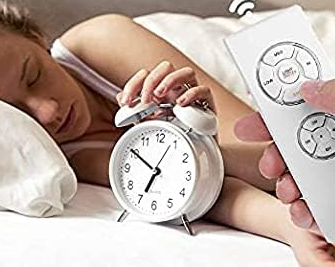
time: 6:50
